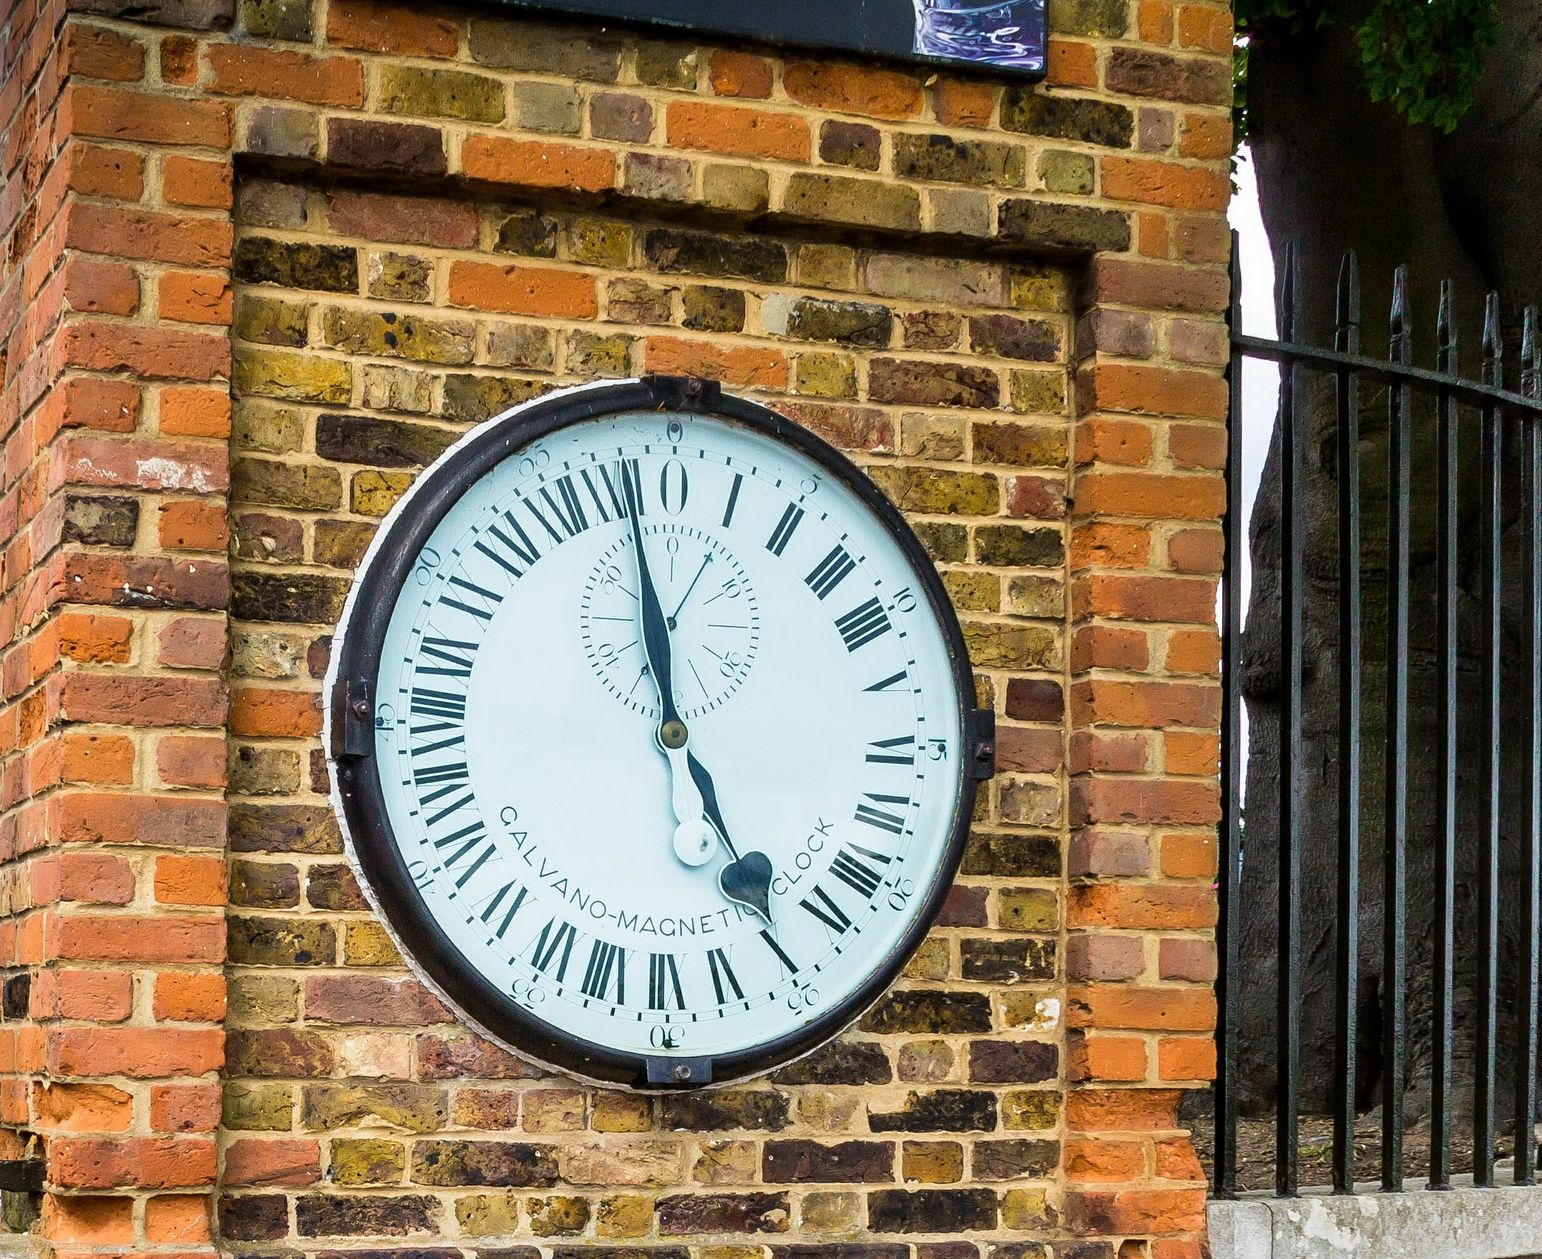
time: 4:57
